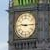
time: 9:14
